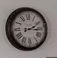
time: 2:15
